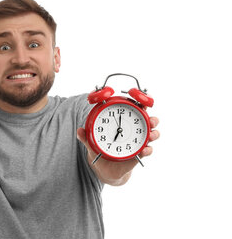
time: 7:00
